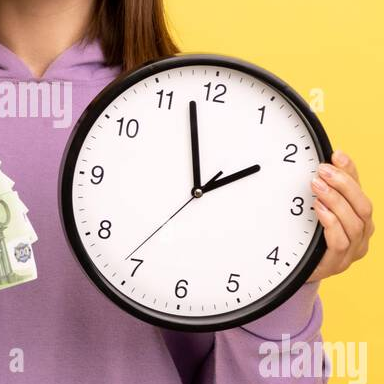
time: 1:57
